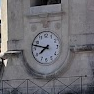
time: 7:47
